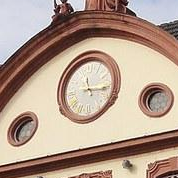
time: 11:16
